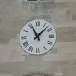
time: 11:07
